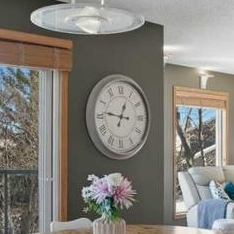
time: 12:46
